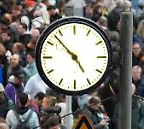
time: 4:52
